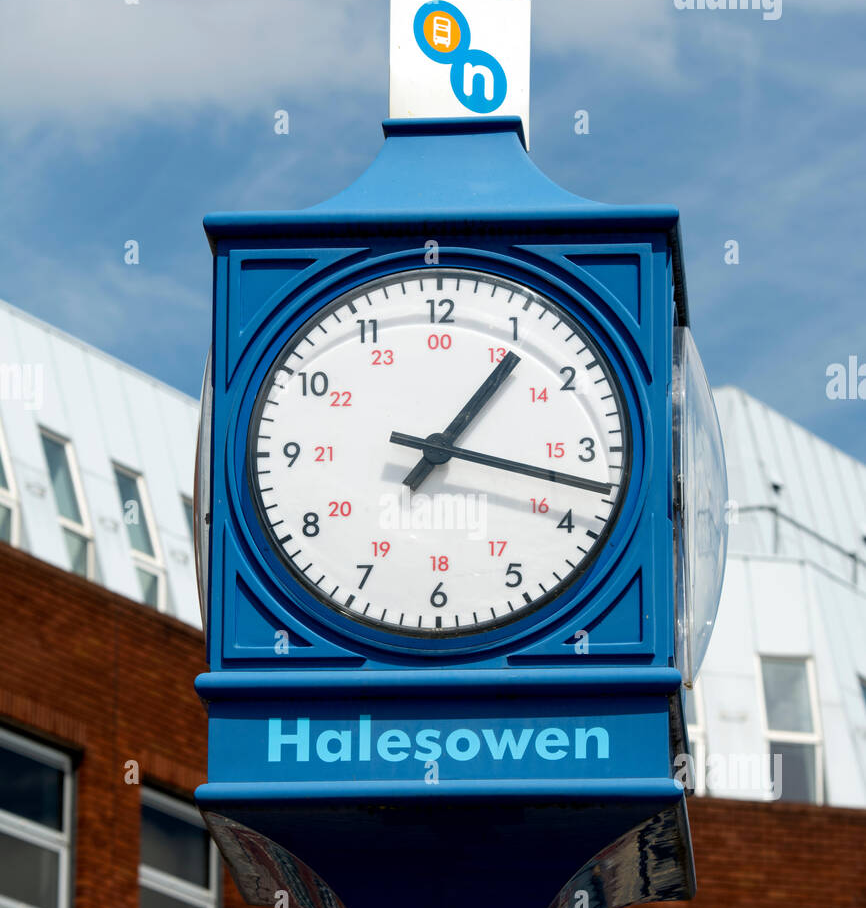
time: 1:17
